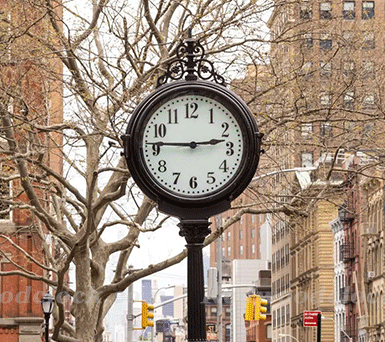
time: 2:45
